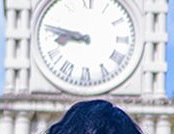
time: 8:47
